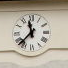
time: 11:37
